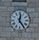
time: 12:24
